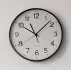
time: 11:07
